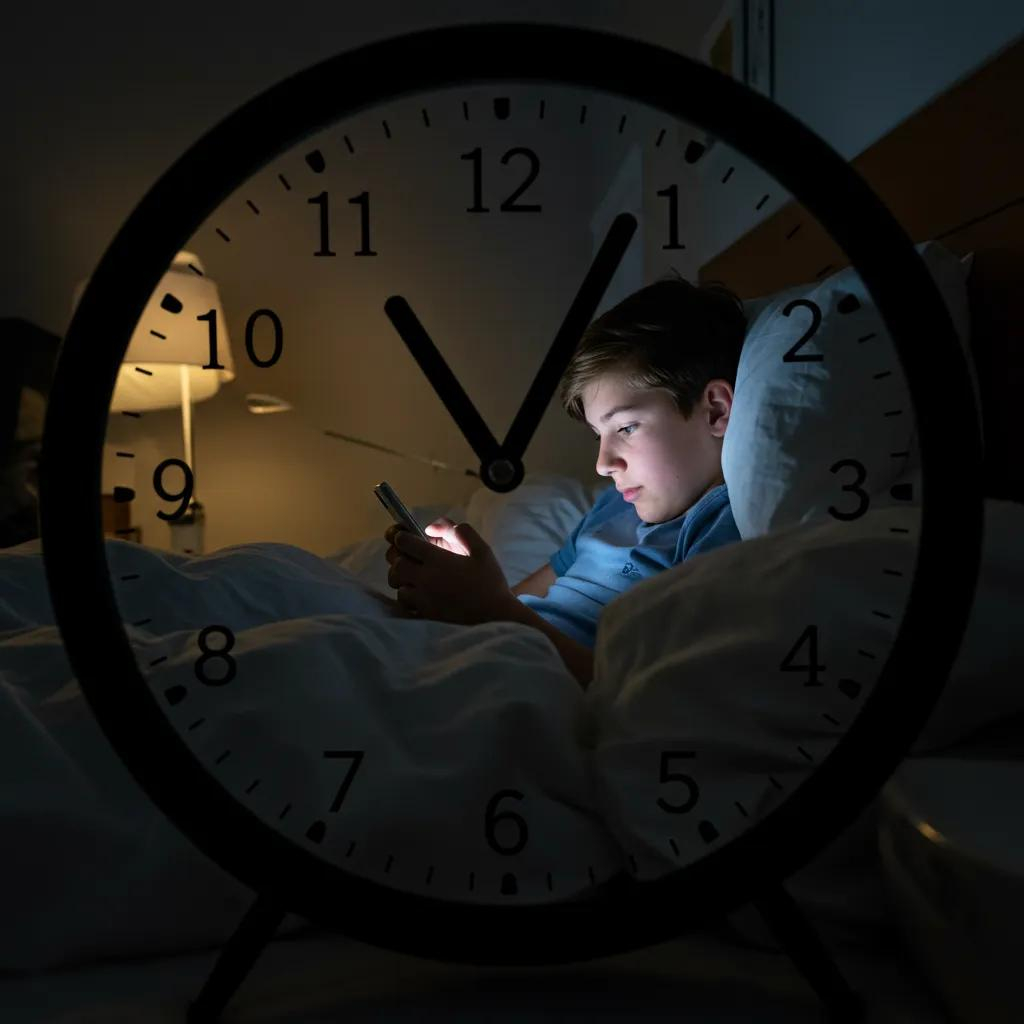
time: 11:04
